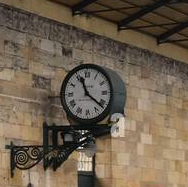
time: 11:21
